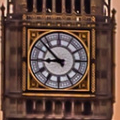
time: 8:52
